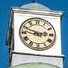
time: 2:48
